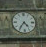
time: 4:35
